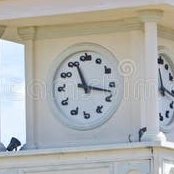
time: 11:17
